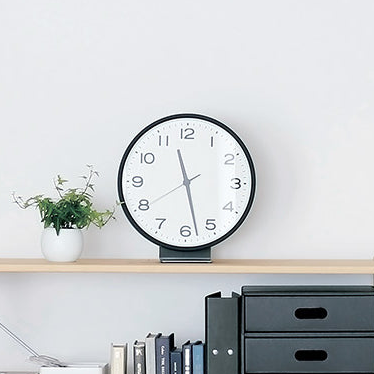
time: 11:28
